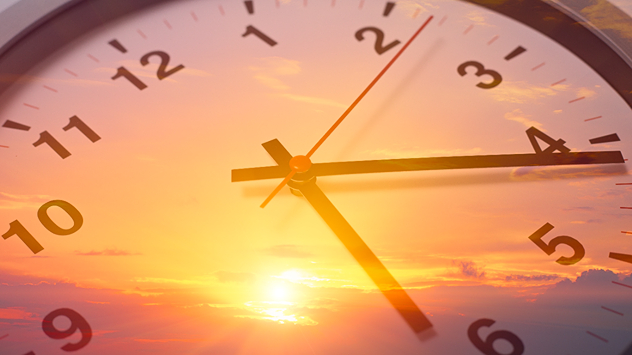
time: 5:15
